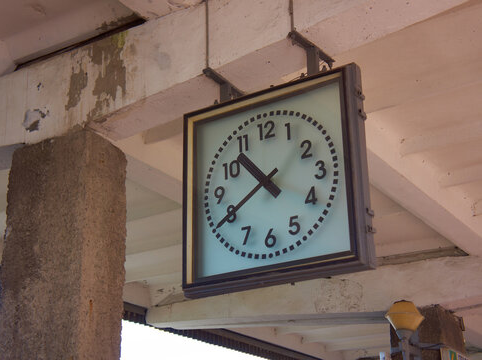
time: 10:40
